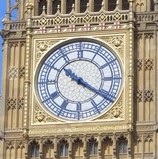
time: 10:20
